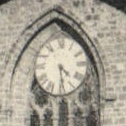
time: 4:28
